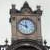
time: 11:49
